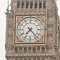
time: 7:22
